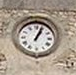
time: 1:03
